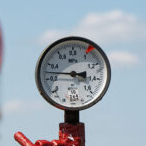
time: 2:46
